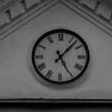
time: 5:07
